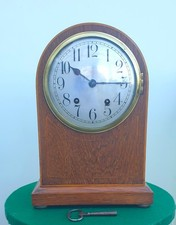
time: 10:14
